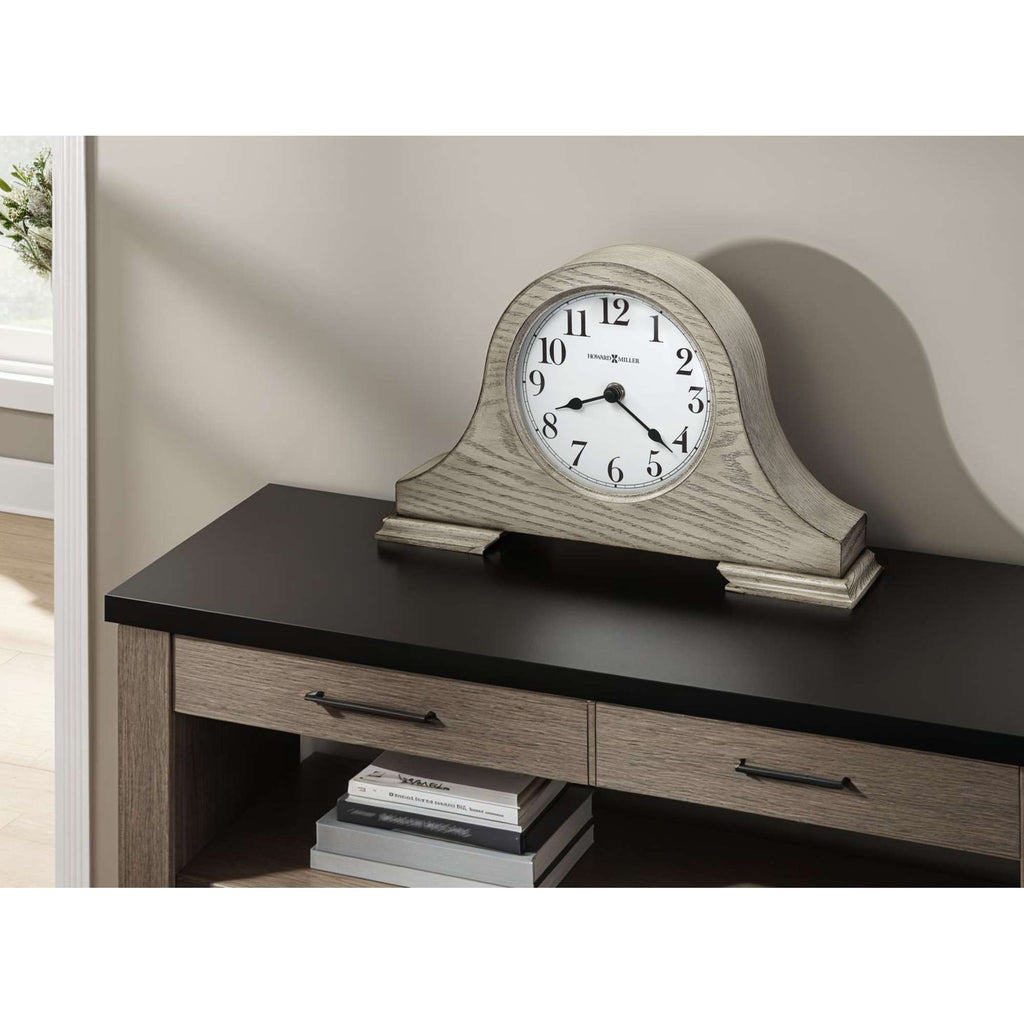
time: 8:21
